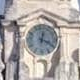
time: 12:19
